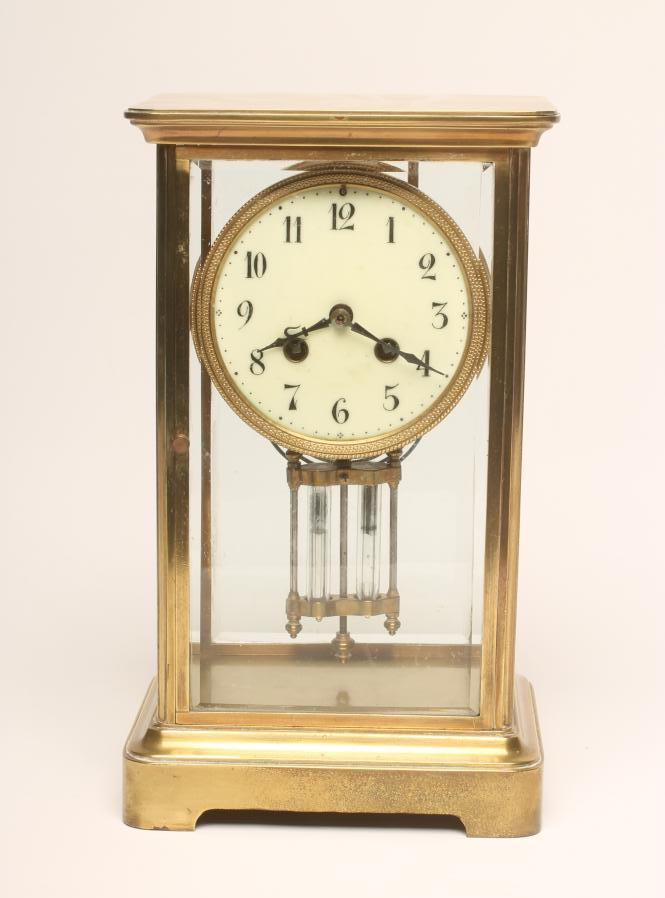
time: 8:18
